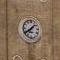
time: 1:39
